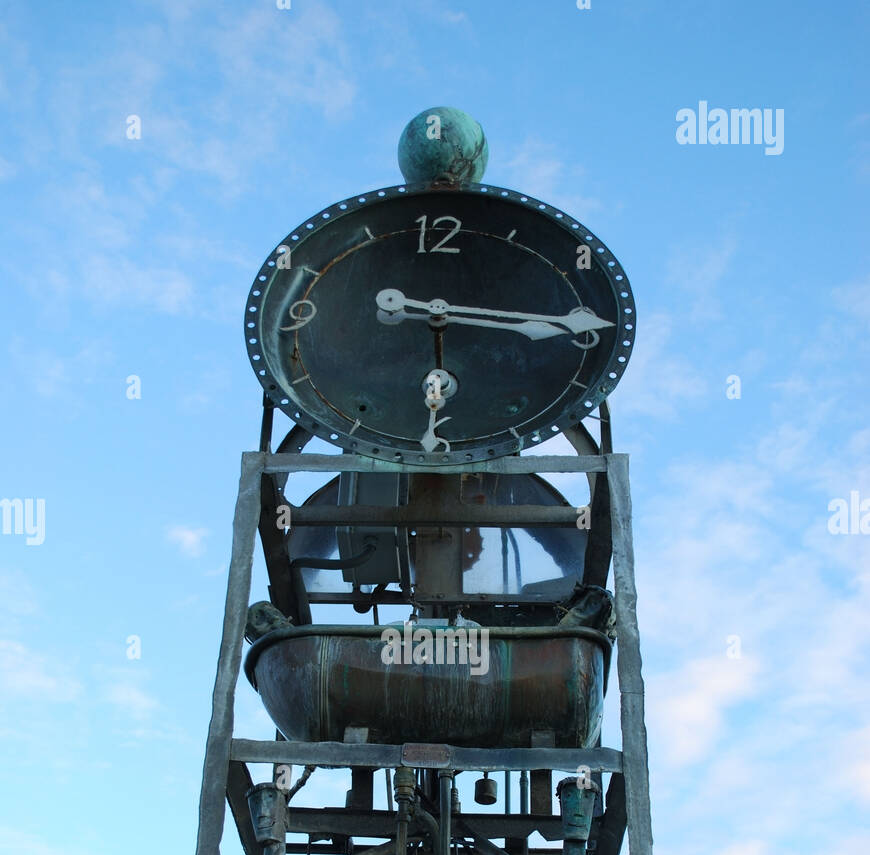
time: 3:15
